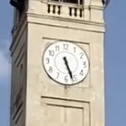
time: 5:26
